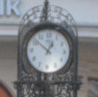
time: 12:51
